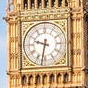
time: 9:32
